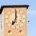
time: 7:00
